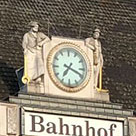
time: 7:18
